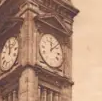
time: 12:07
